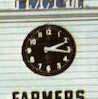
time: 2:16
